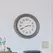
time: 2:40
